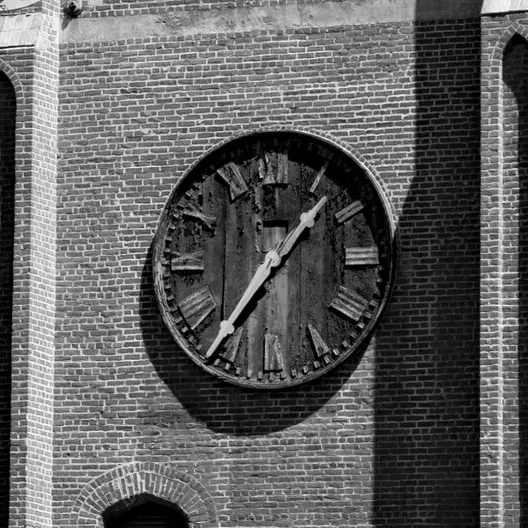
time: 1:36
